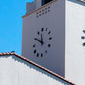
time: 11:50
